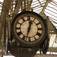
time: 12:32
